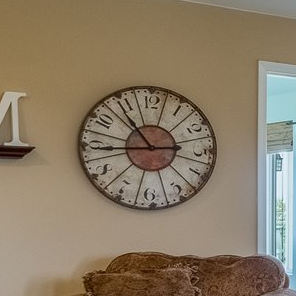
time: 10:44
